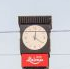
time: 12:20
